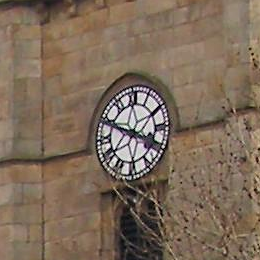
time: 3:48
